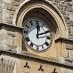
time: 12:11
